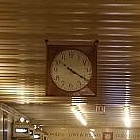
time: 10:20
